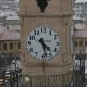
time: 4:27
